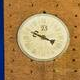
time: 3:48
